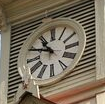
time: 10:48
